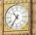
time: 10:36
